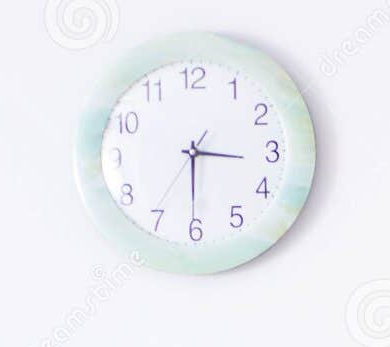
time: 3:30
